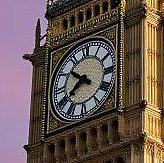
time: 7:51
